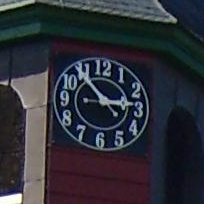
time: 2:53
